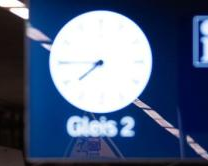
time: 7:44
